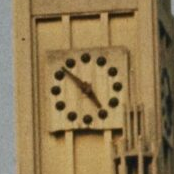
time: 4:52
